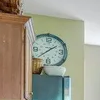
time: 1:39
